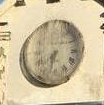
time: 7:32
